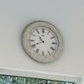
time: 10:40
